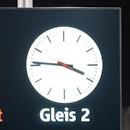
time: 3:45
